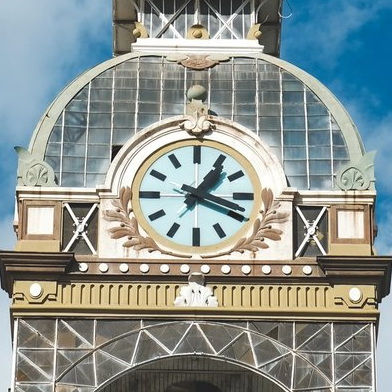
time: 1:18
